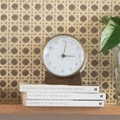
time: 3:01
